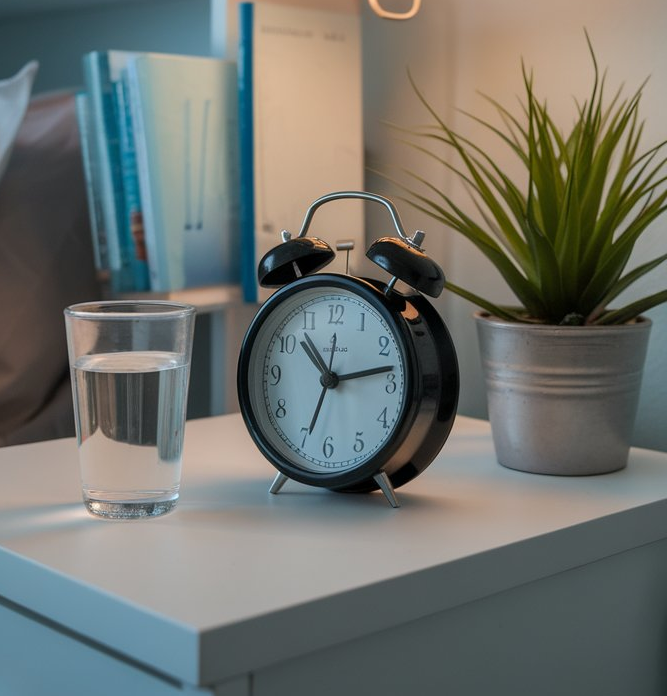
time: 10:13
